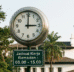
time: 3:00
